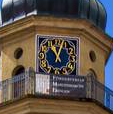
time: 11:03
